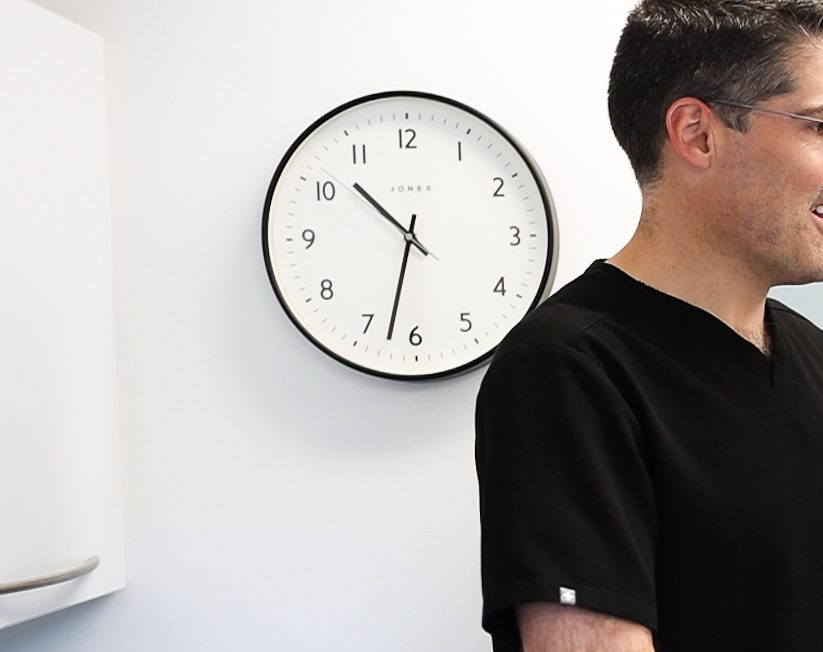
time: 10:32
